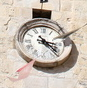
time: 3:22
